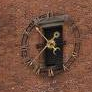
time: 10:37
